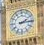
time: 2:14
